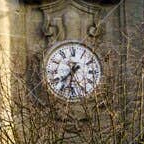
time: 7:32
